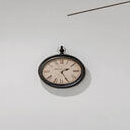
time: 1:25
